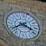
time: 3:40
